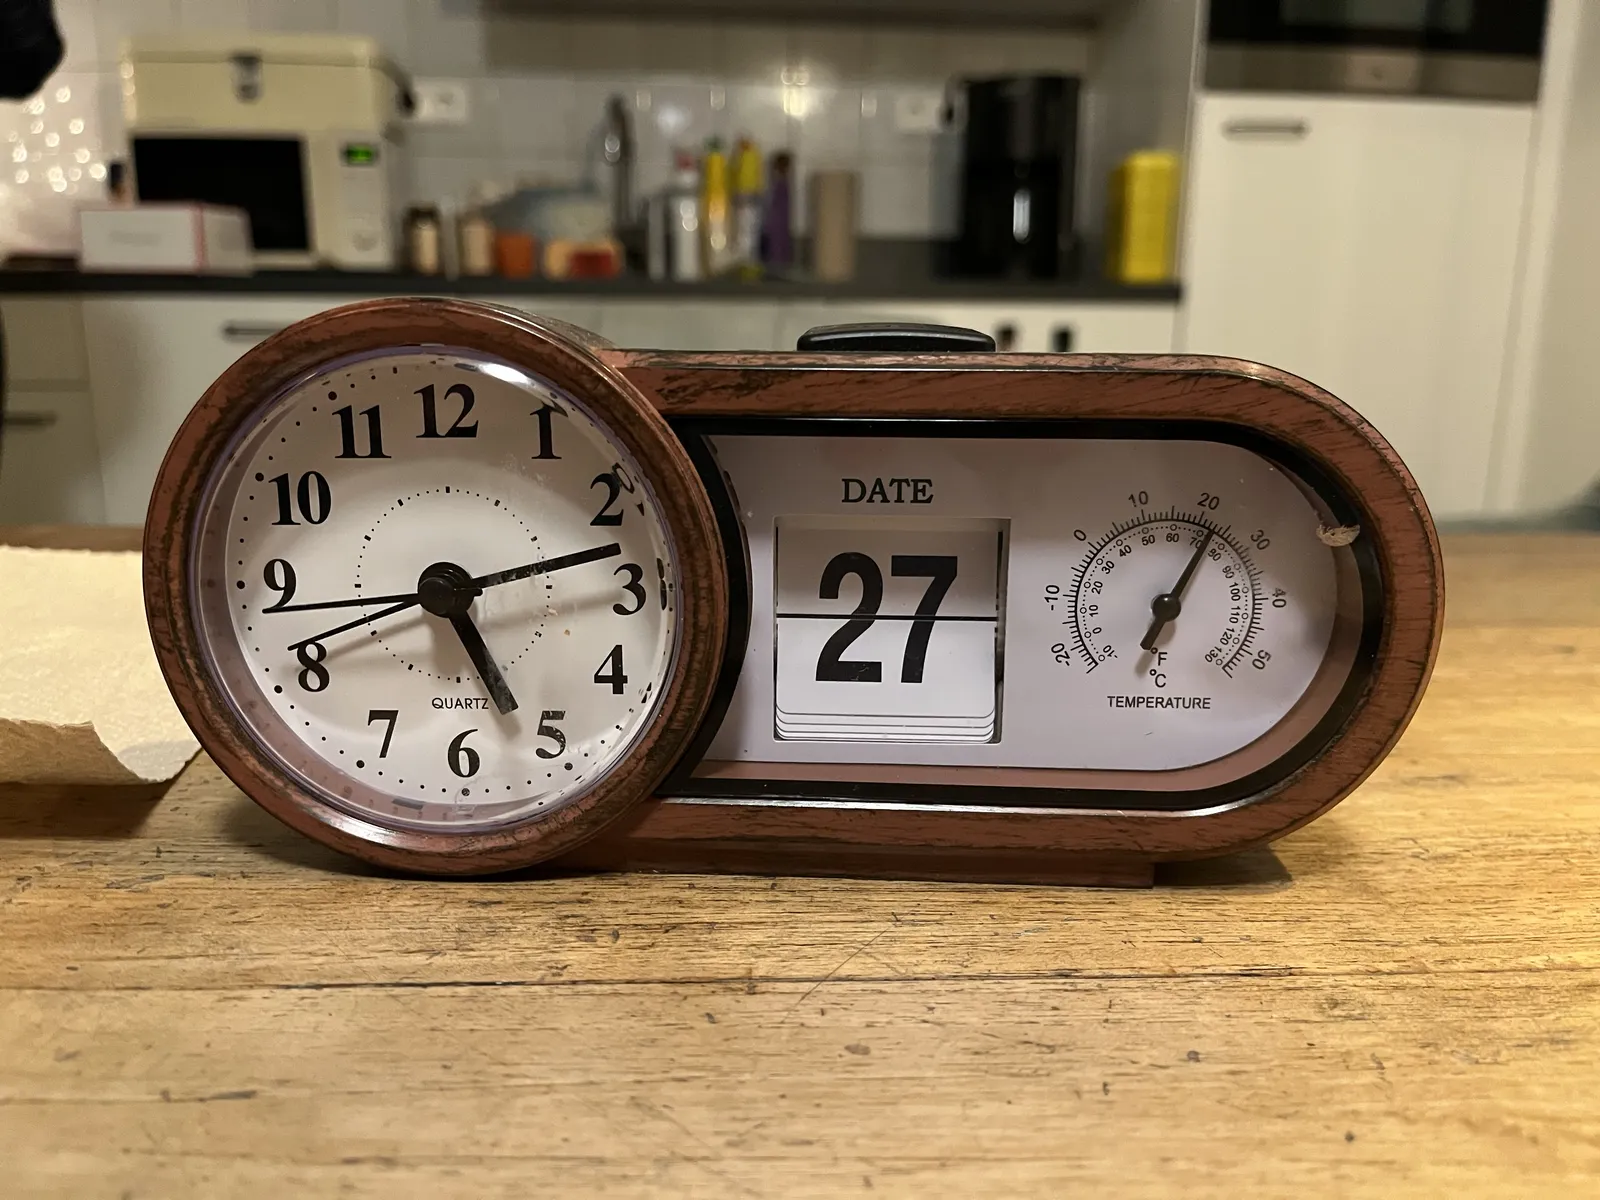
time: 5:12
